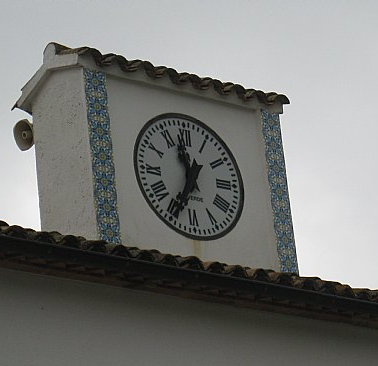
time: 11:34
